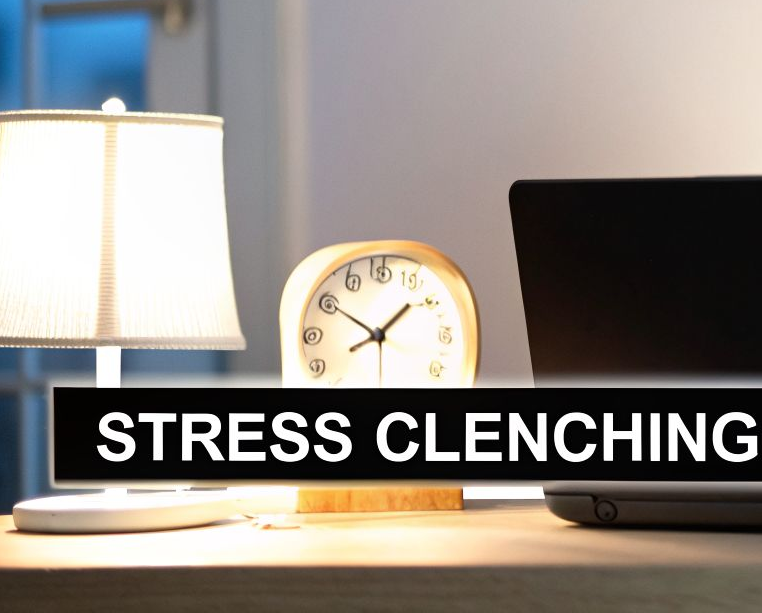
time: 1:50
